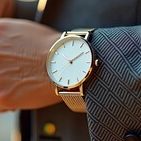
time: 2:09
